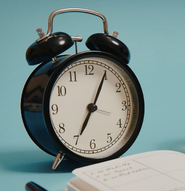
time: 7:04
